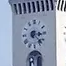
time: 3:22
